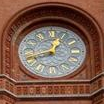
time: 12:41
